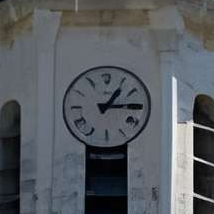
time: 1:14
